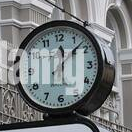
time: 12:07
